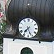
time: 7:26
